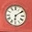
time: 6:08
